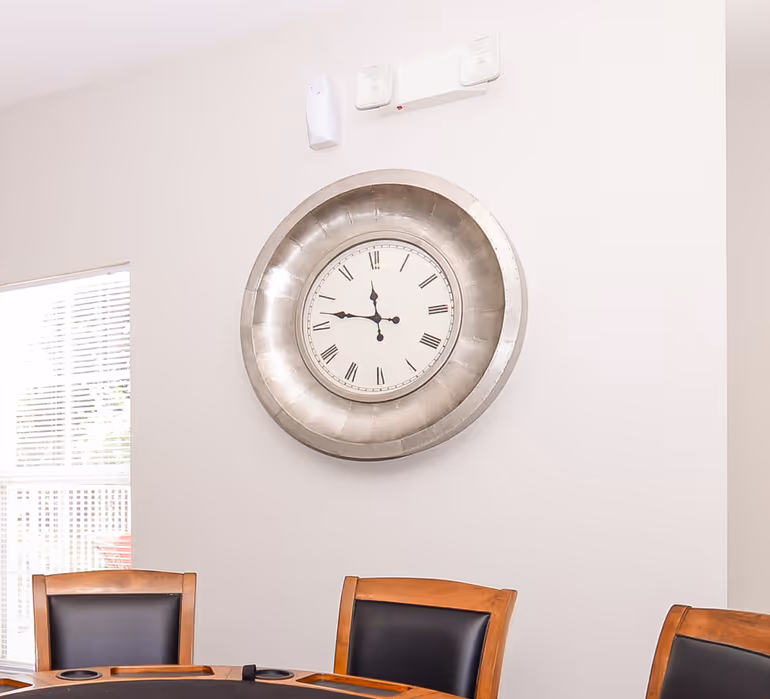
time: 11:46
